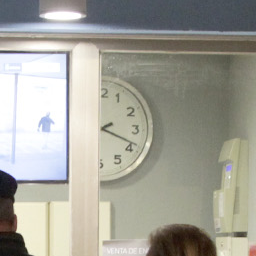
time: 2:18
